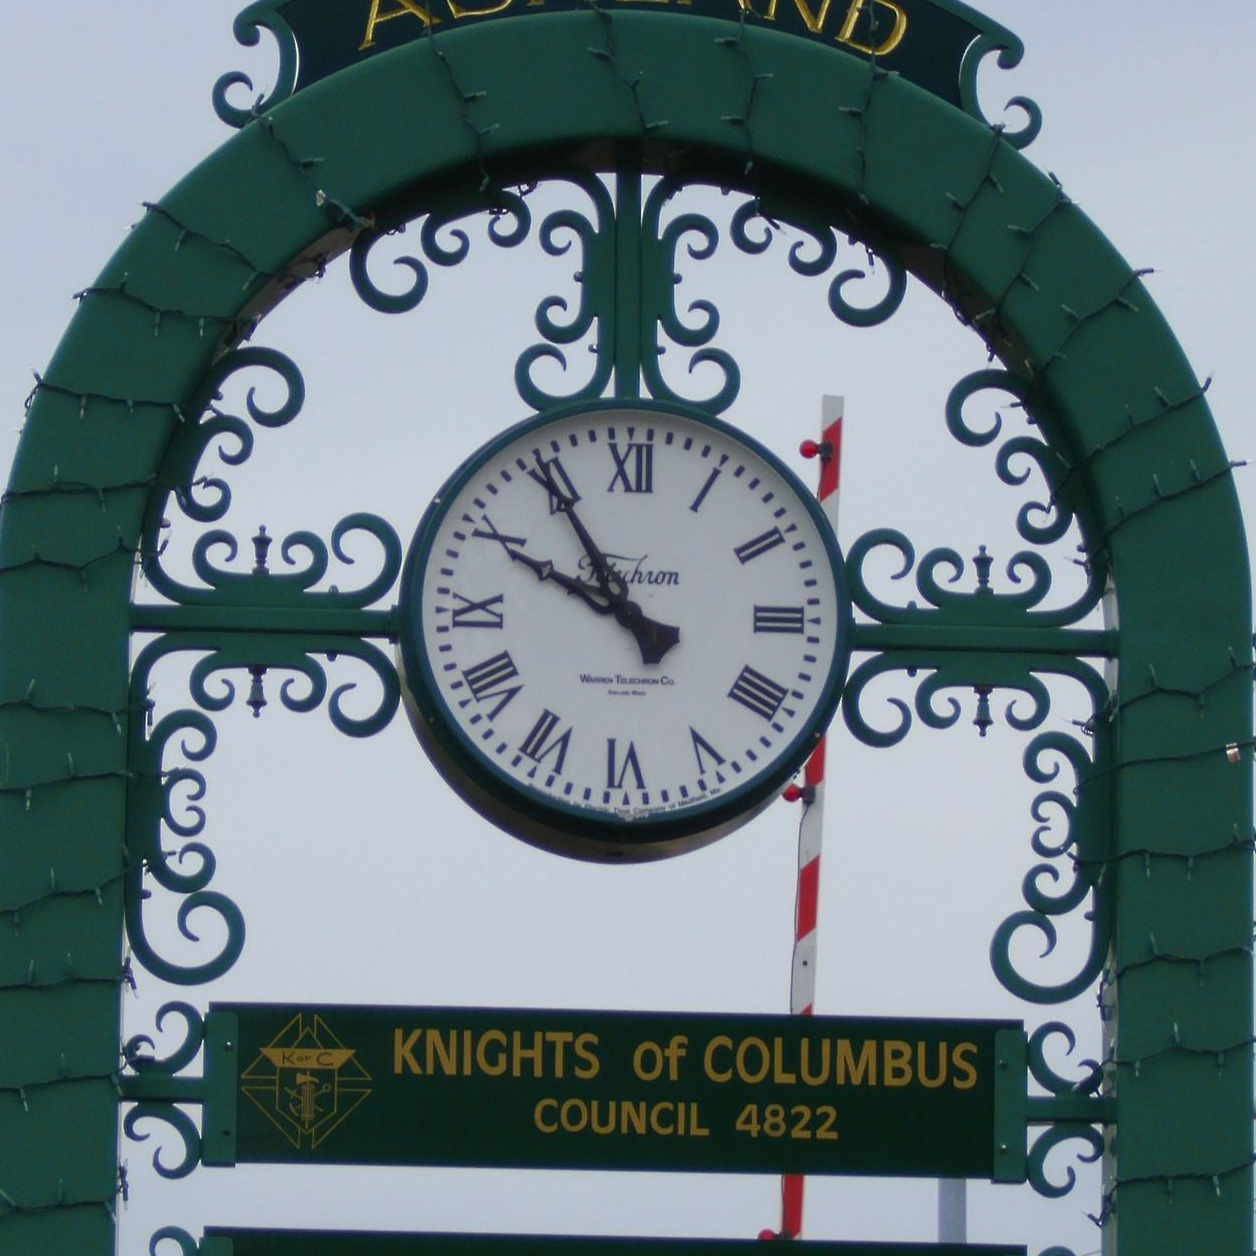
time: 9:54
